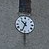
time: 10:34
